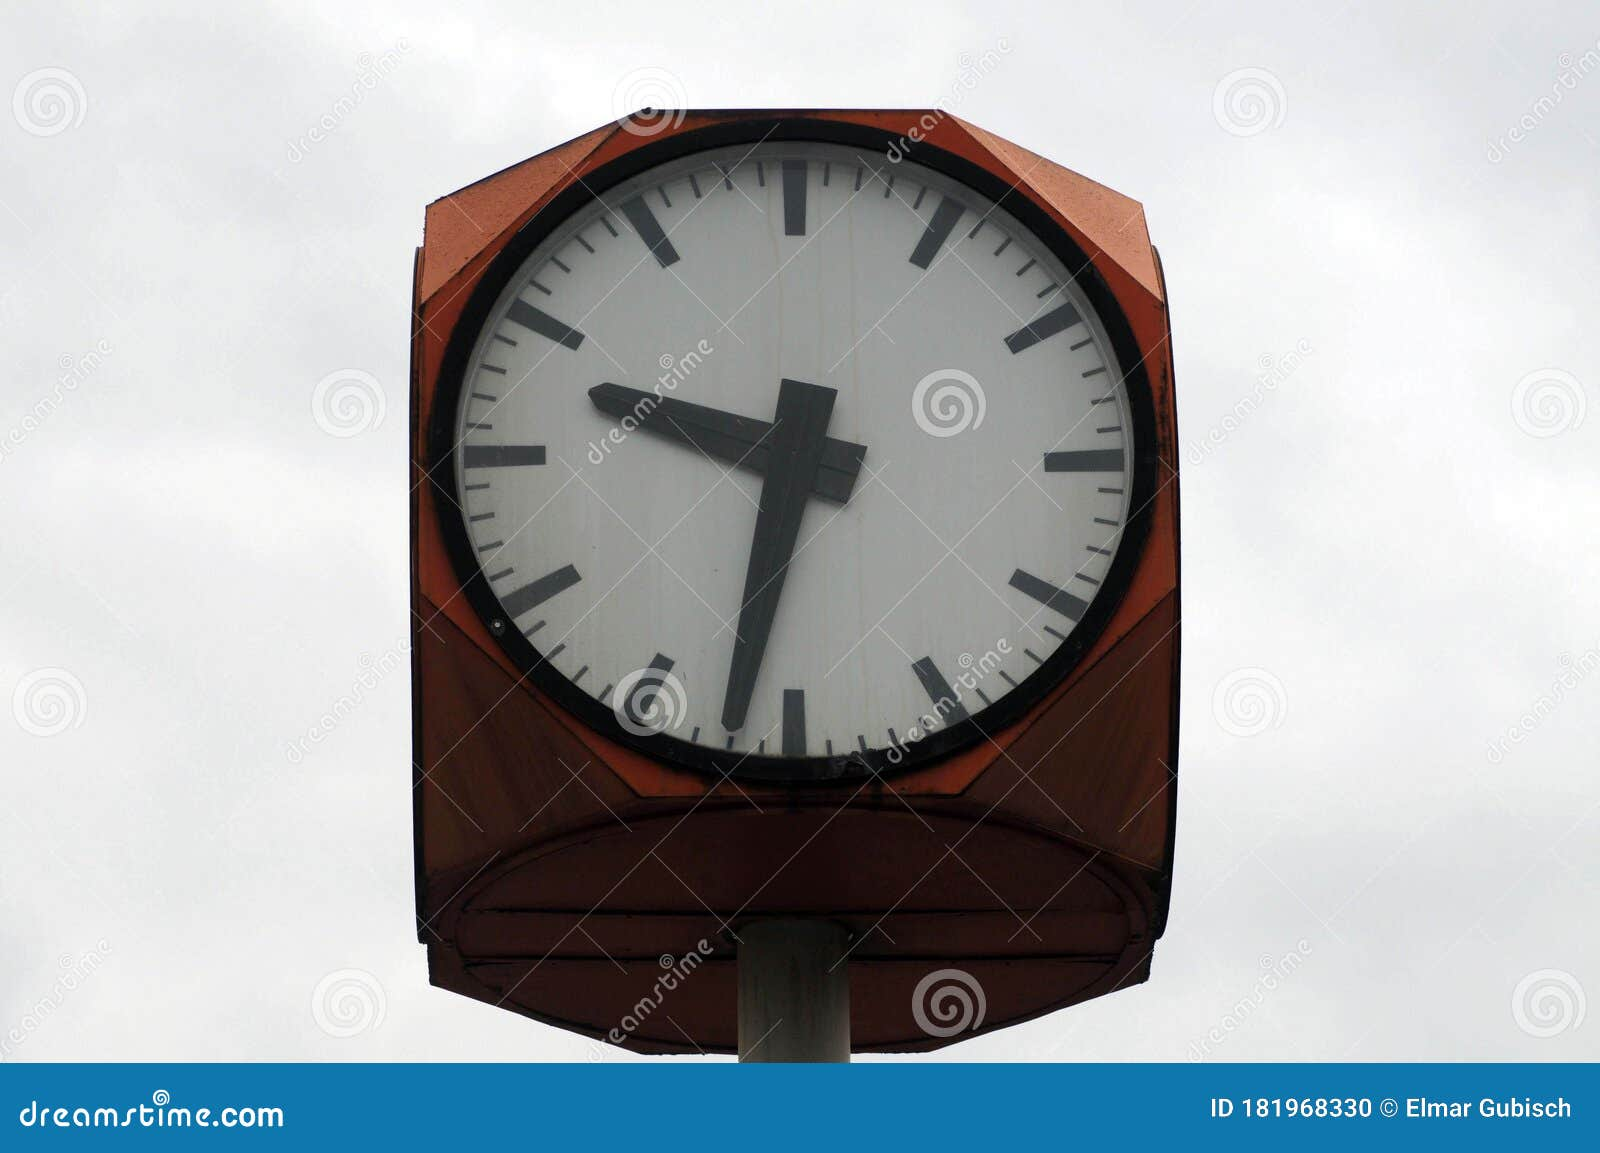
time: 9:32
